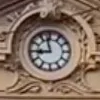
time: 8:57
